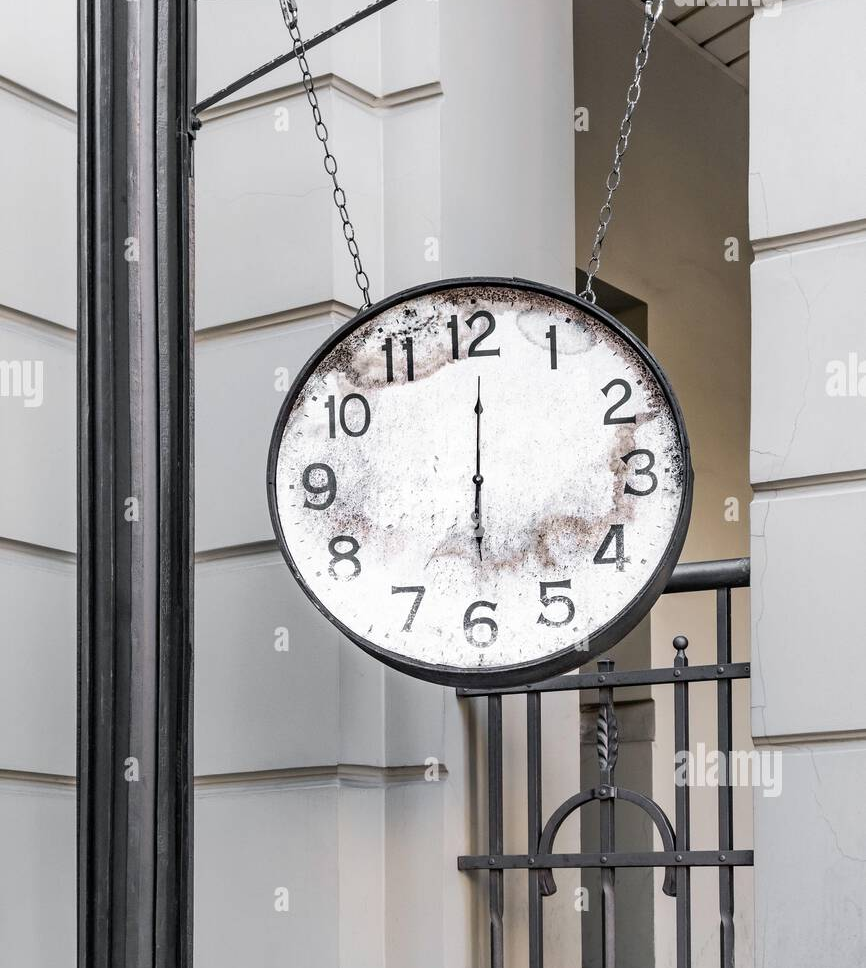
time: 6:00
